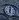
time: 6:02
